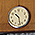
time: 10:28
